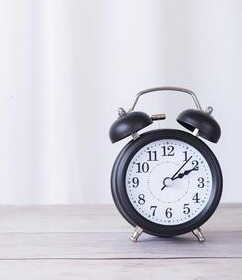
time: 2:07
